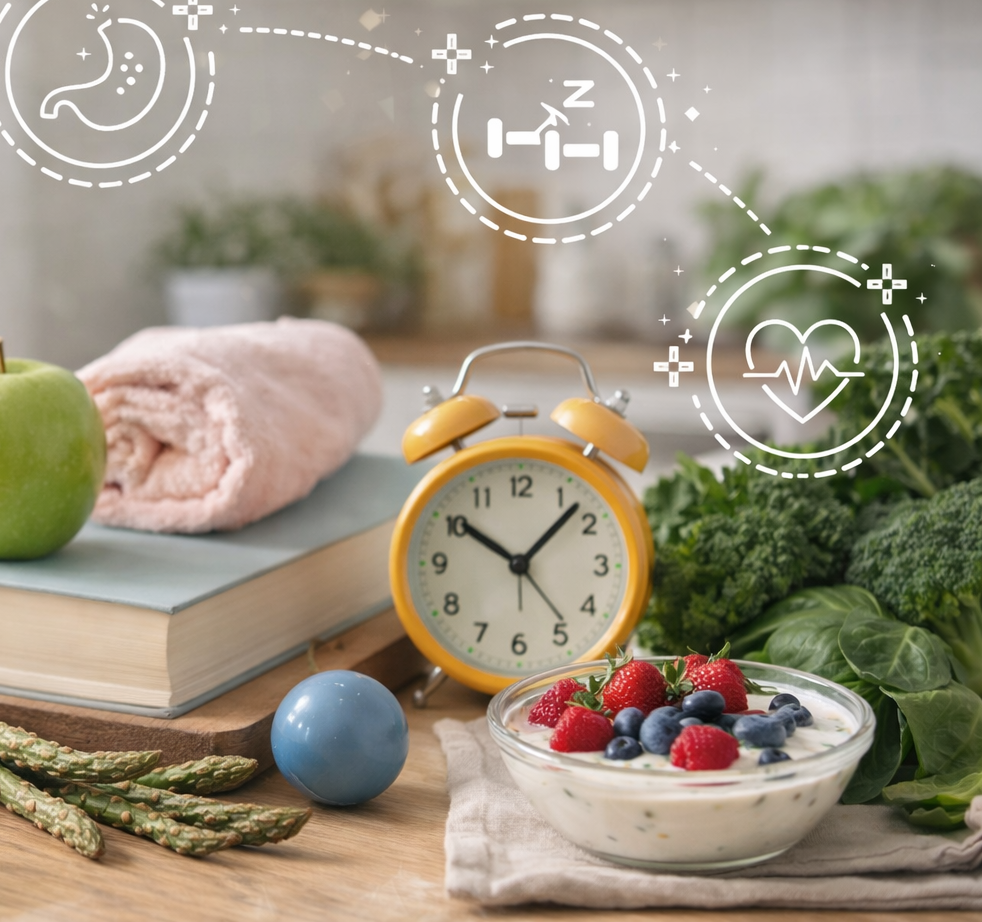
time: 10:07
